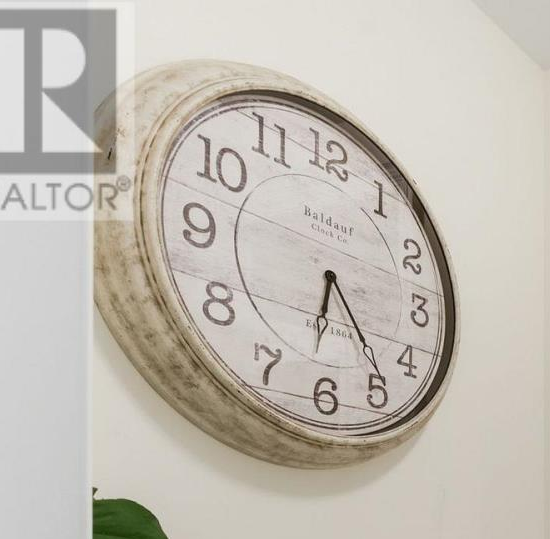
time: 6:24
